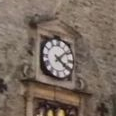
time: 4:08
